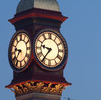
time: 9:36
